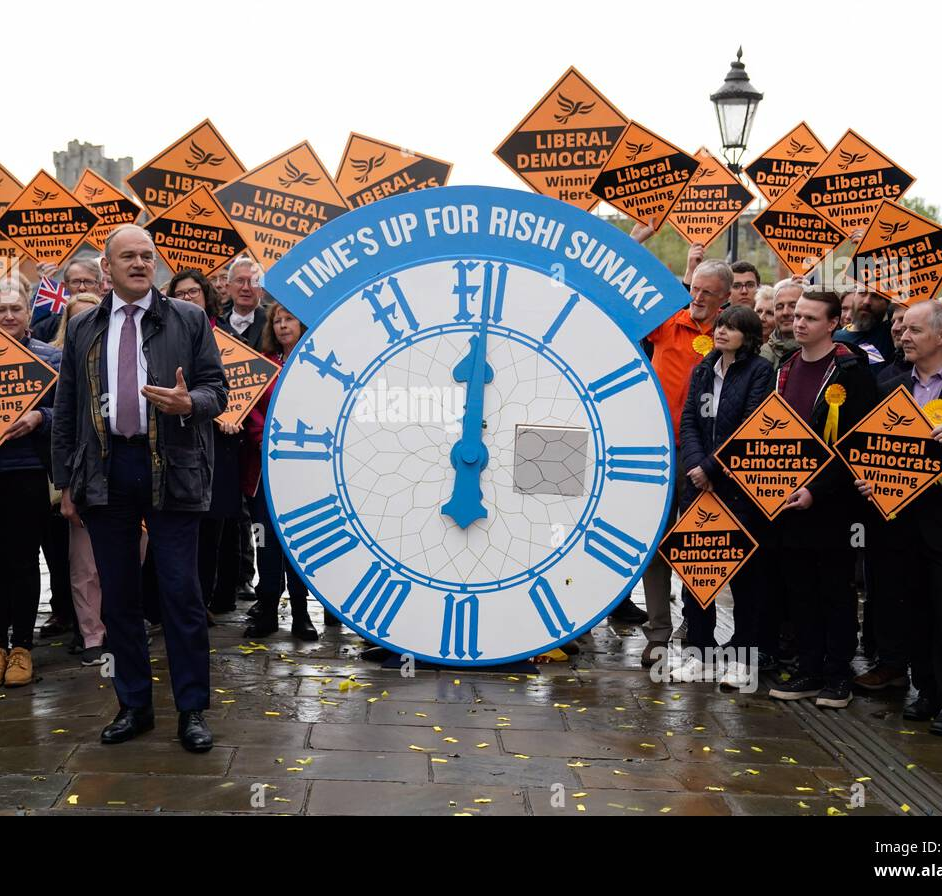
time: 6:00
